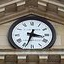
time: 3:33
